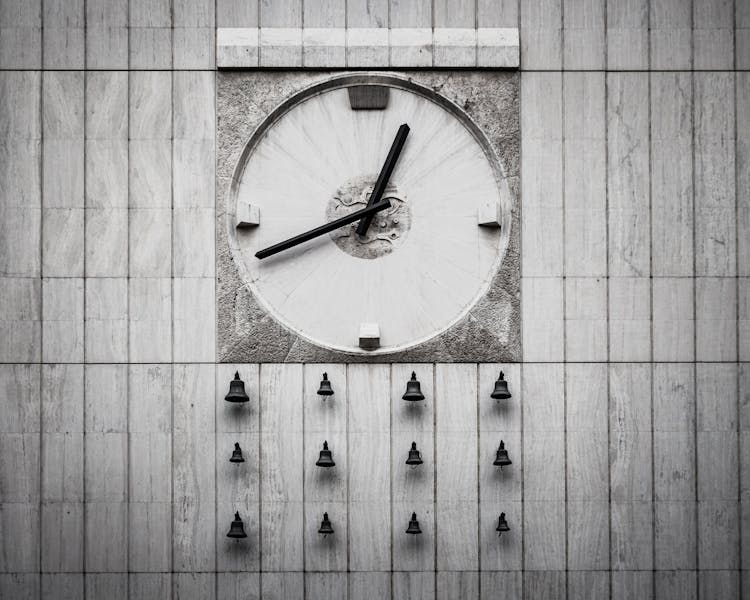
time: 12:41
